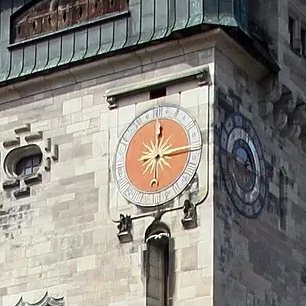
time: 12:14
